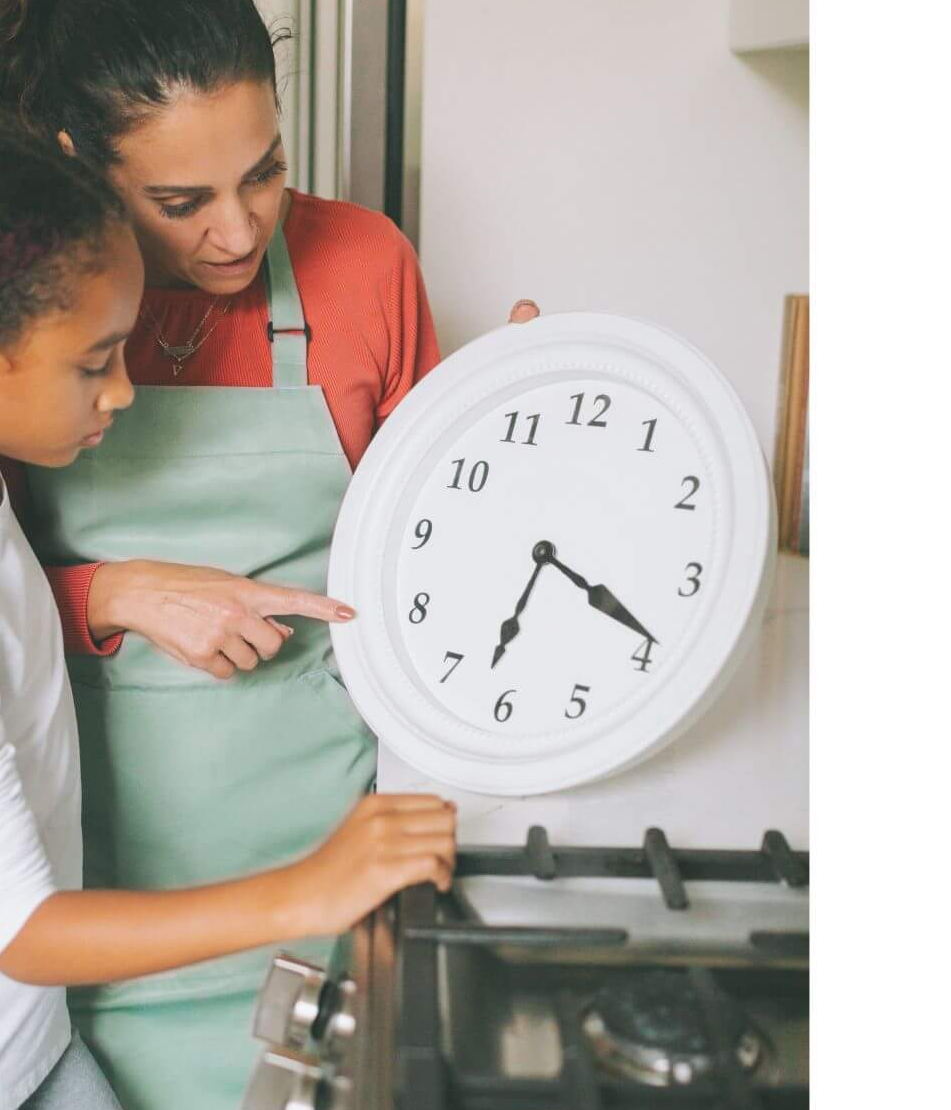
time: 6:18
